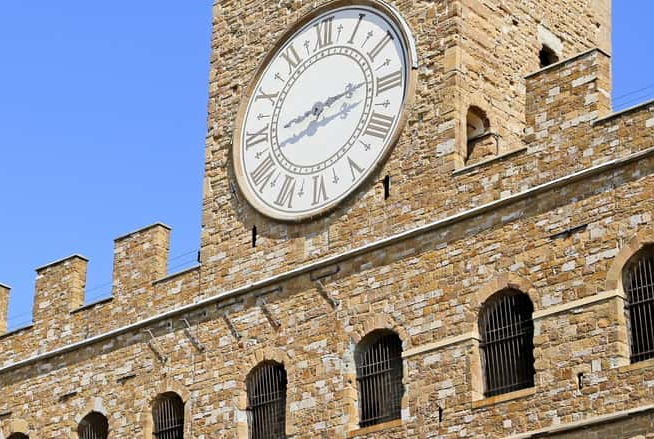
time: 8:13
